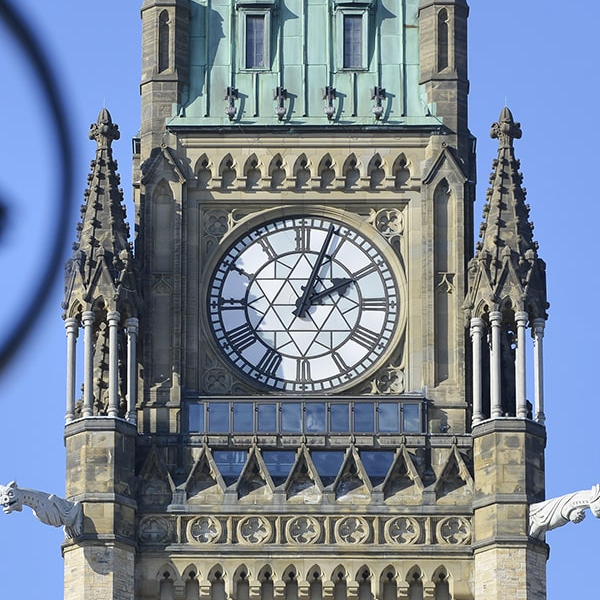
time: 2:03
